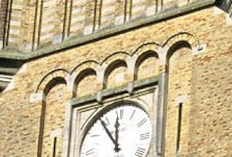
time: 11:54
